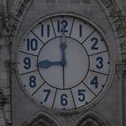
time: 8:59
